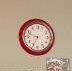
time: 9:34
